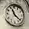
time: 11:21
